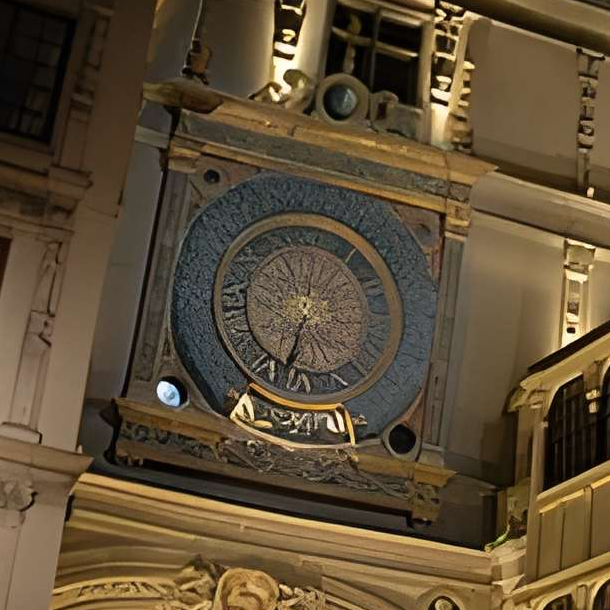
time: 6:32
